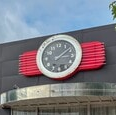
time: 3:09
